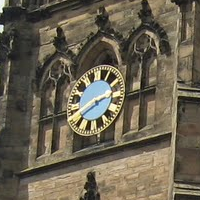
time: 2:40
